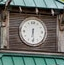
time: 6:29
